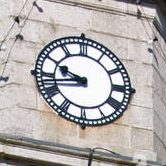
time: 9:42
